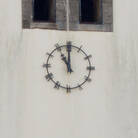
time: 10:59
